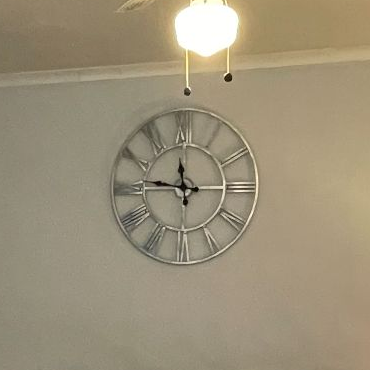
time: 11:46
